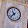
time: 10:37
